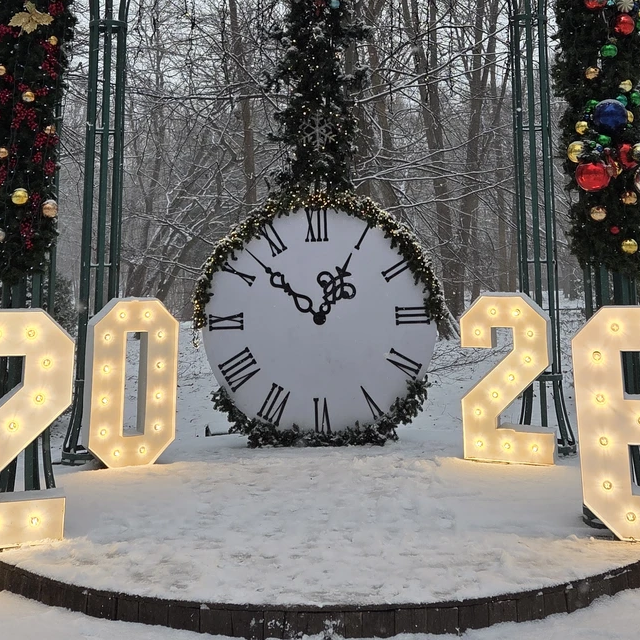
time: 12:52
